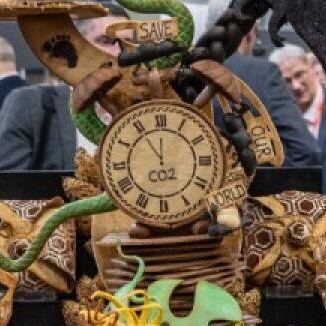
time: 11:54
